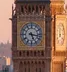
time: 5:16
